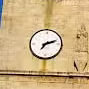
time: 7:11
